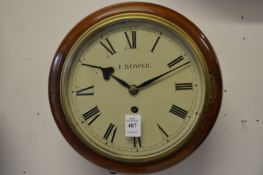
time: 10:11
